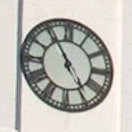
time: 4:54
